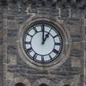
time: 1:00
